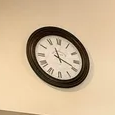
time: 11:18
